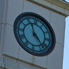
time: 4:56
